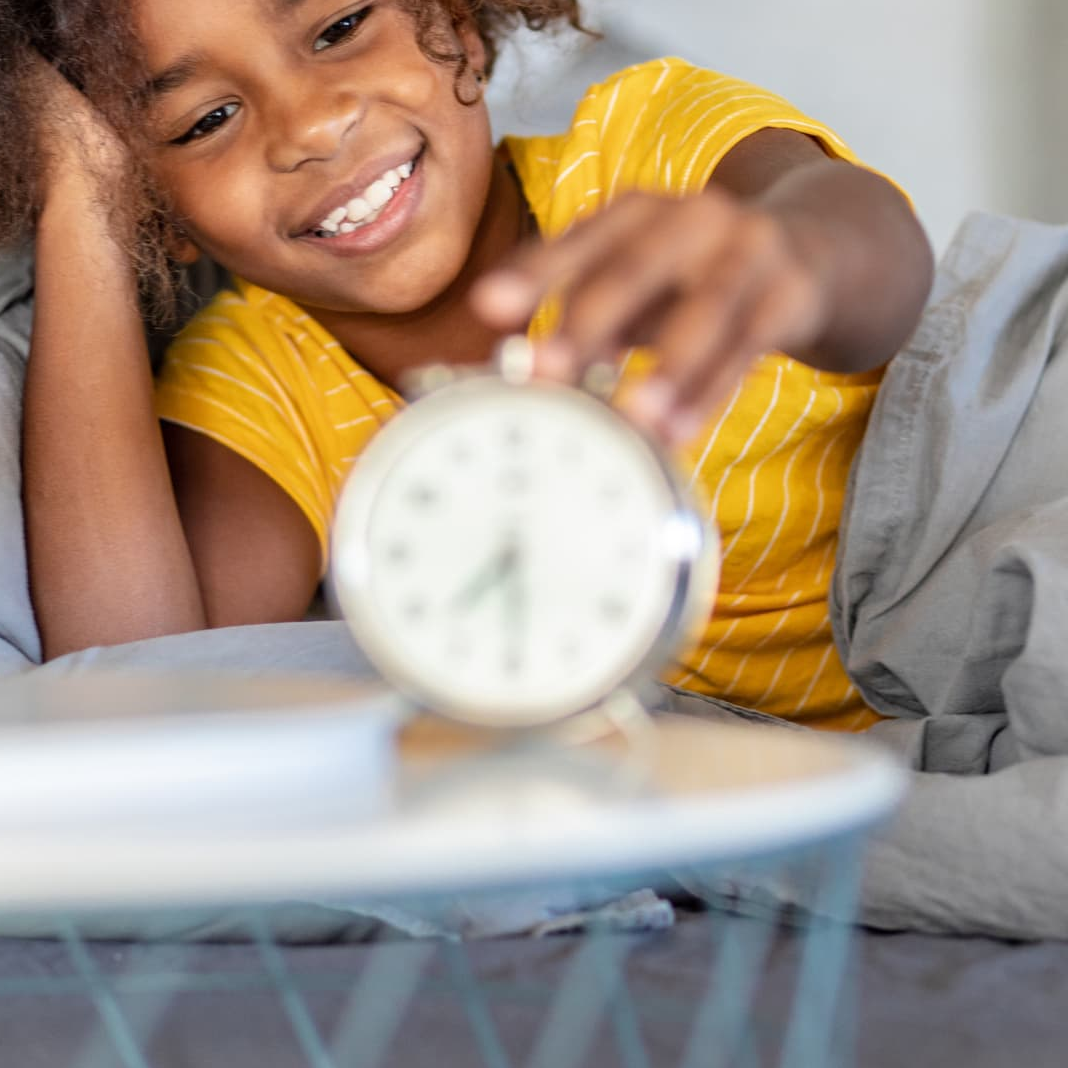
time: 7:29
